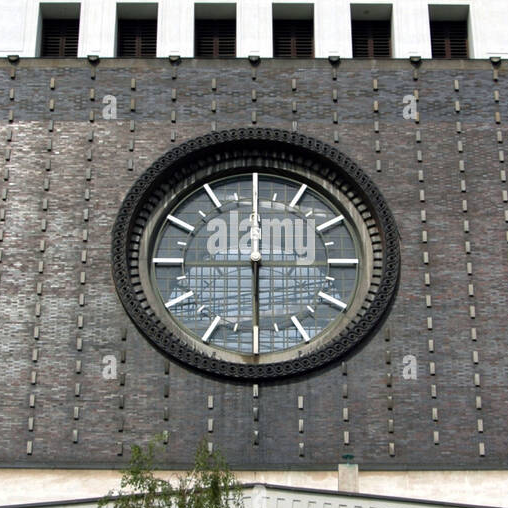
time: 5:59
